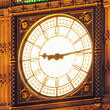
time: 9:13
